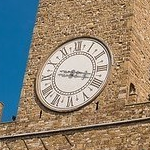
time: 9:17
